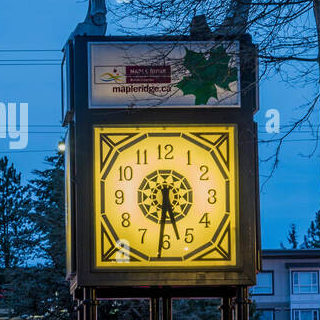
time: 5:31
